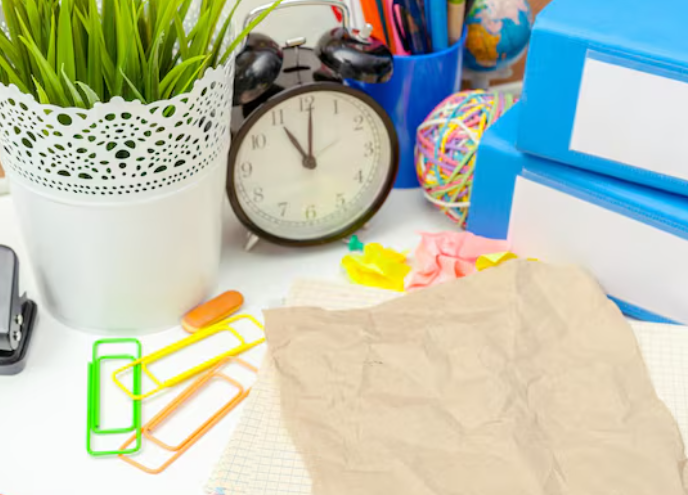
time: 11:00
